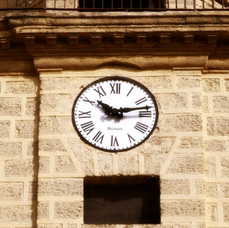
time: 10:12
